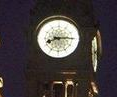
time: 8:14
